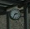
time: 2:36
